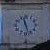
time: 11:27
